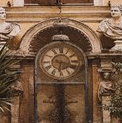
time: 6:17
